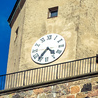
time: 4:36
